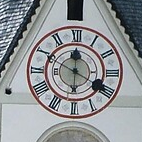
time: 12:19
